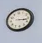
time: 3:17
